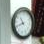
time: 10:41
